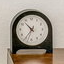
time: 10:35
